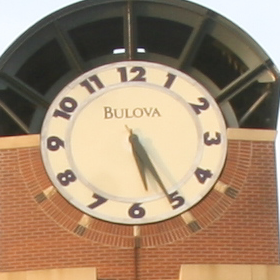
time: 5:25
